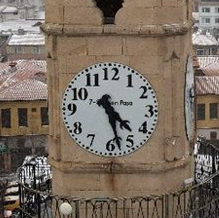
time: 4:27
